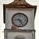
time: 9:26
